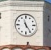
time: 11:24
